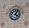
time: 4:04
